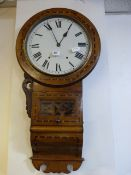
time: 12:56
